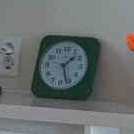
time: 1:26
